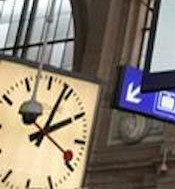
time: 2:03
